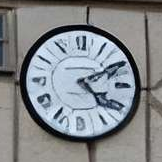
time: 4:10
